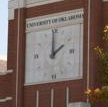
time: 2:00
